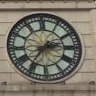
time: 2:36
